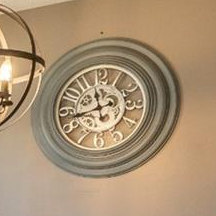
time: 11:42
